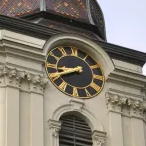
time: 8:40
